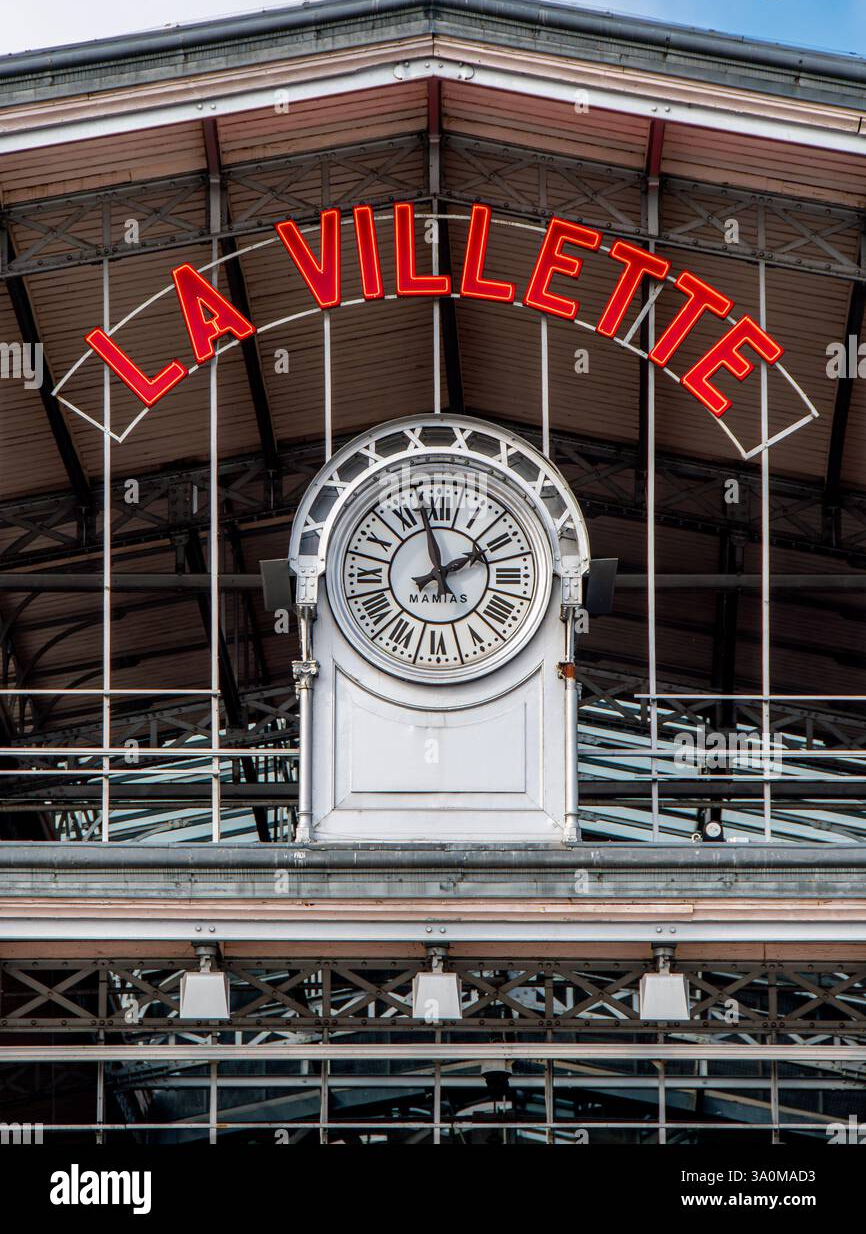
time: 1:56
